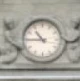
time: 10:45
